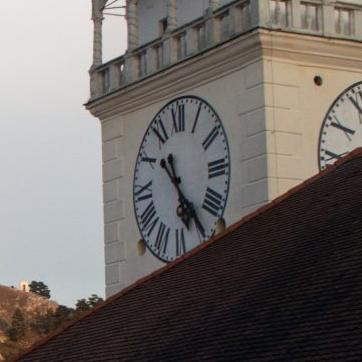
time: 5:24
